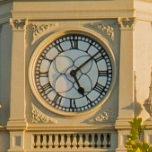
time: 5:08
